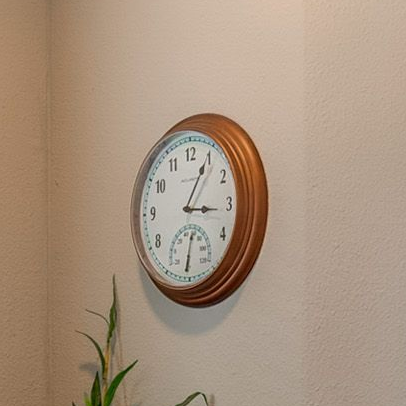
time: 3:04
